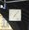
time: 7:07
